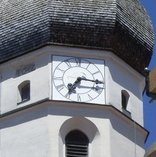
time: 7:15
